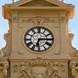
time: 6:15
